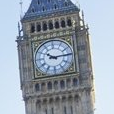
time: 10:14
